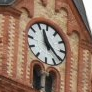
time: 11:21
